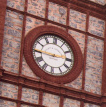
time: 2:45
